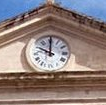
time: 10:00
